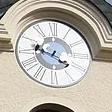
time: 3:48
